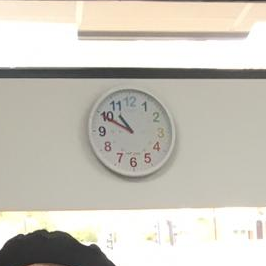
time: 10:49
